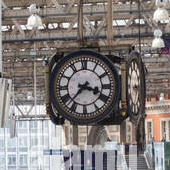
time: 3:37
